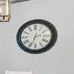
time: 2:33
